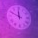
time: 11:49
